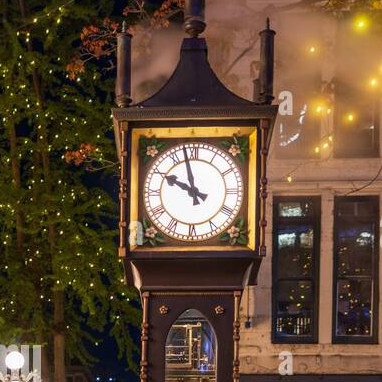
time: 9:57
